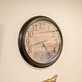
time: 4:42
